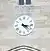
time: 3:22
